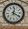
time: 12:20
